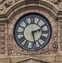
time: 2:27
